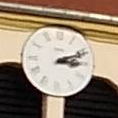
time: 3:11
